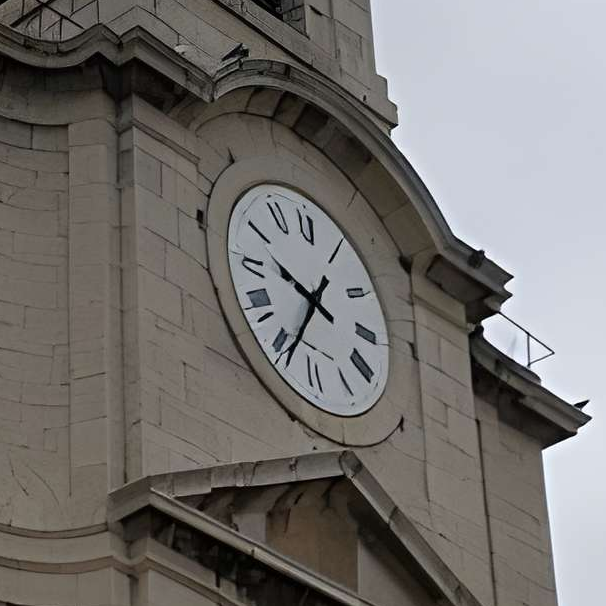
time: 9:34
